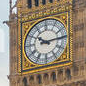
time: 10:14
